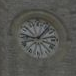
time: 9:07
